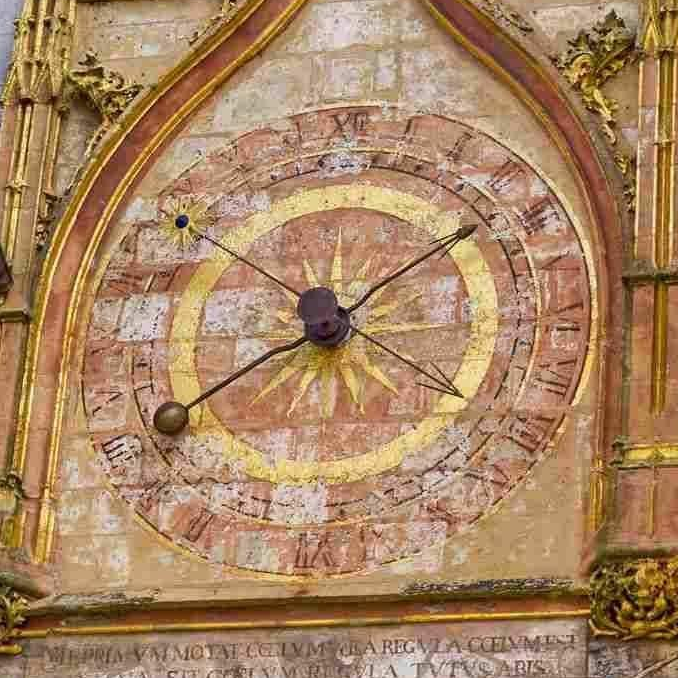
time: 8:09
